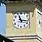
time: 11:16
